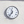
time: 11:36
